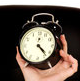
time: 4:22
